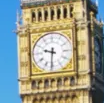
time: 9:31
